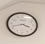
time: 3:42
